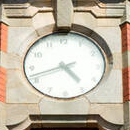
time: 4:42
